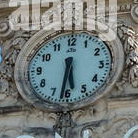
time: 5:31
